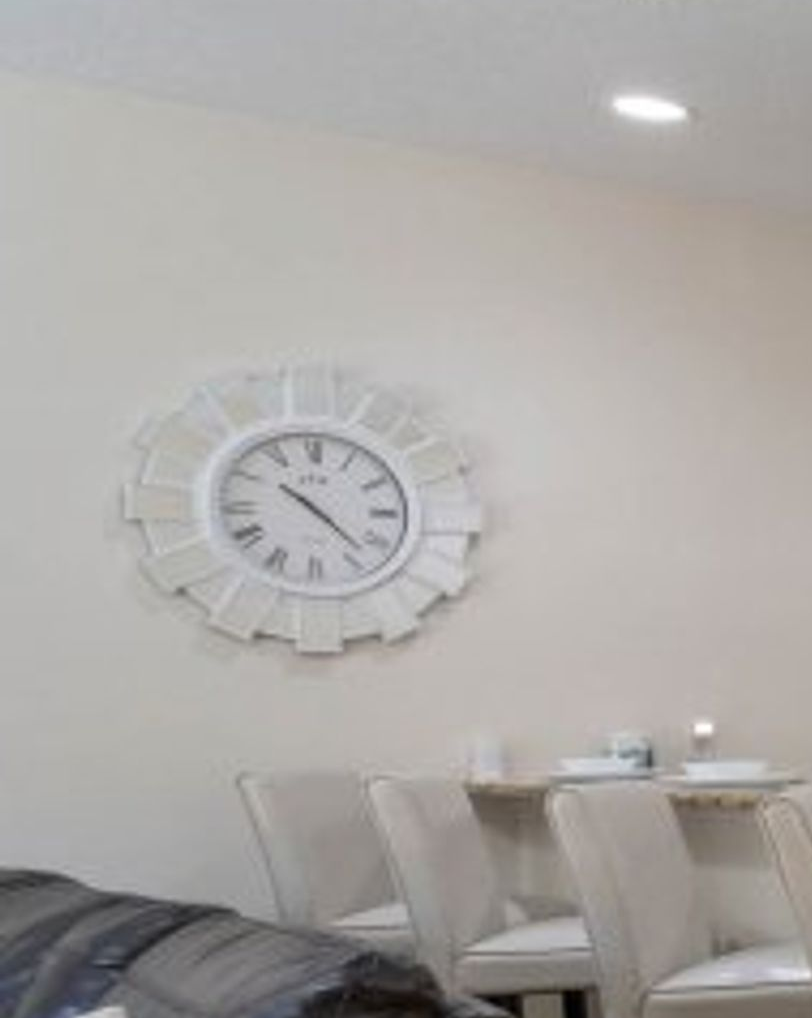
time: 10:22
